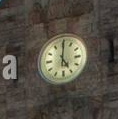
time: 5:00
